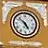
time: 4:52
